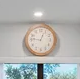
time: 12:46
